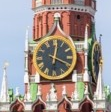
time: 4:01
